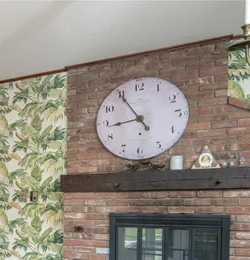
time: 8:54
